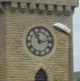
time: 11:13
